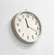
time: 11:18
